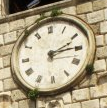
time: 2:14
